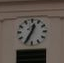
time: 12:34
